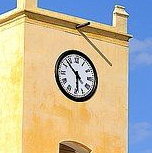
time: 5:52
